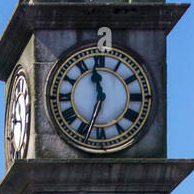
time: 11:33
